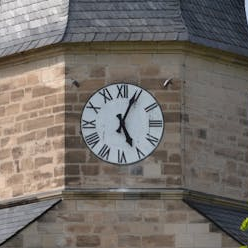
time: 5:04
